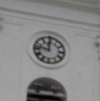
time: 11:46
